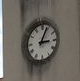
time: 3:04
